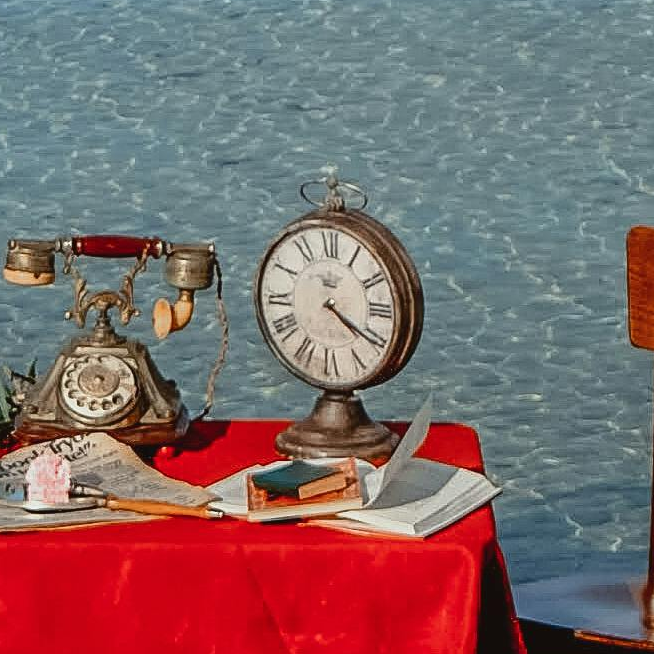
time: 4:20
